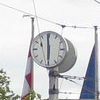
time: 5:59
